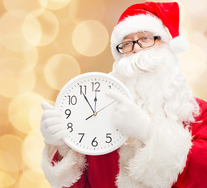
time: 11:54
